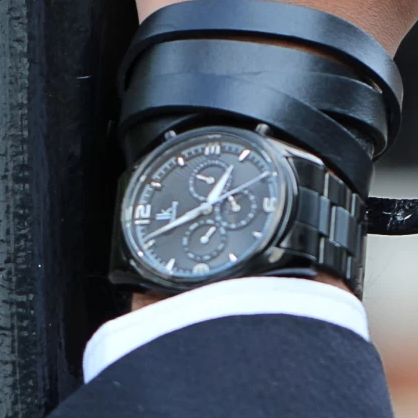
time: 12:40
